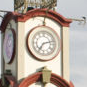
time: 7:12
